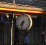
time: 7:32
